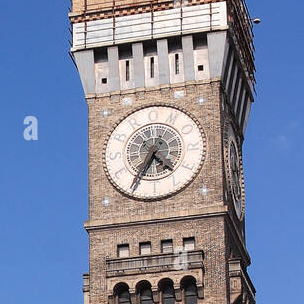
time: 4:34
